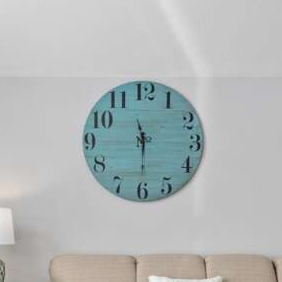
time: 11:29
